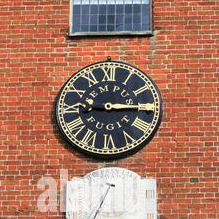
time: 9:14
